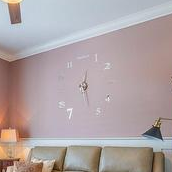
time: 12:27
